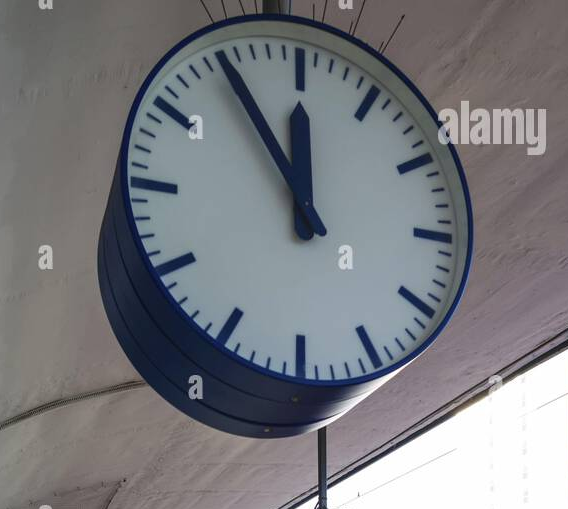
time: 11:54
